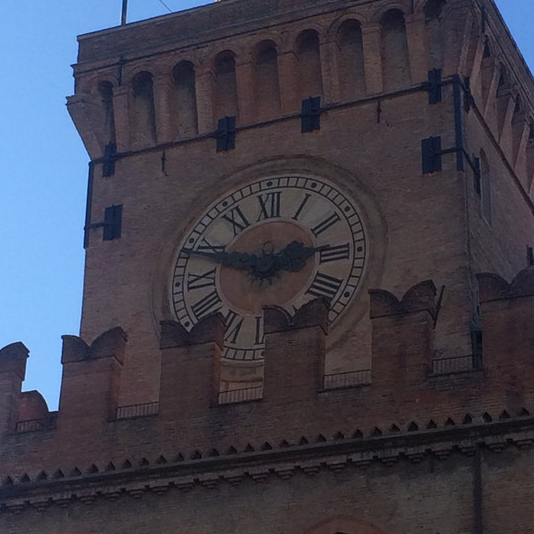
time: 2:48
